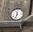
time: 11:32
